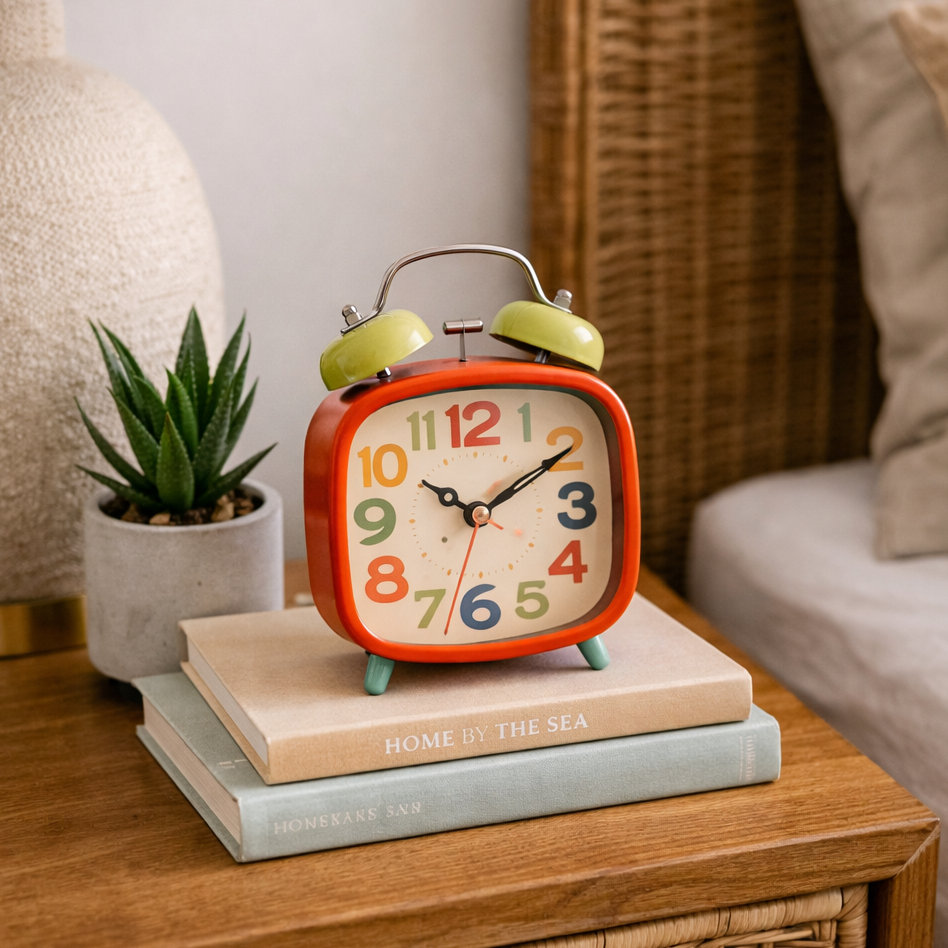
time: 10:10
